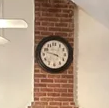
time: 3:47
